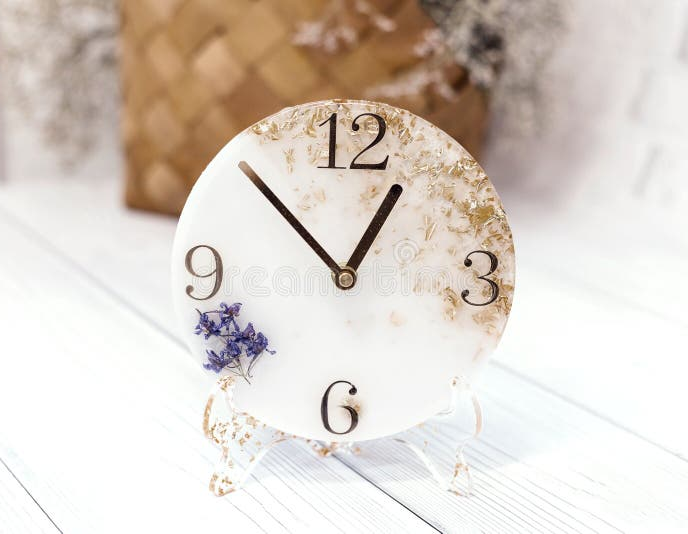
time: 12:52
